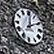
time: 12:09
